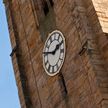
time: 1:46
